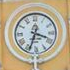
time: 3:33
